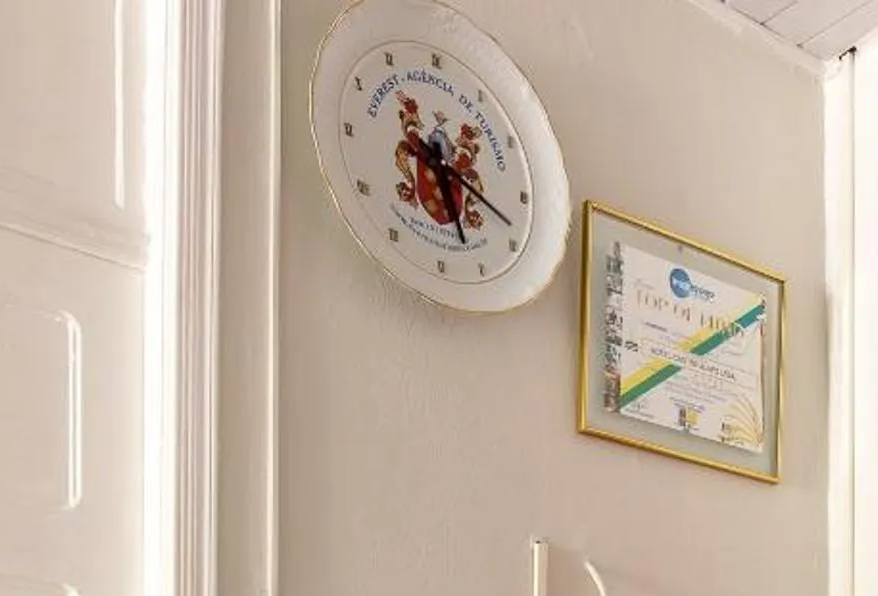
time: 5:18
